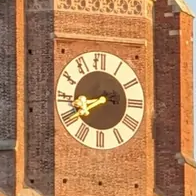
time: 8:40
